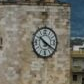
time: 10:20
